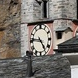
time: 4:45
